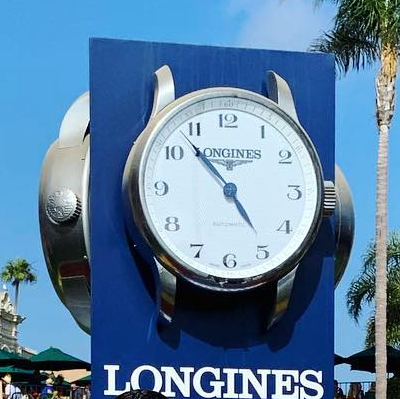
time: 4:53
